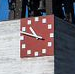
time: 10:47
